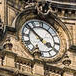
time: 3:51
